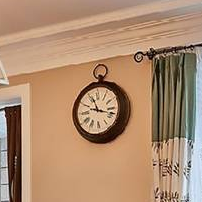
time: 11:17
